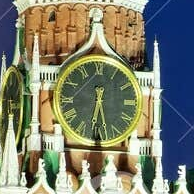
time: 5:32
